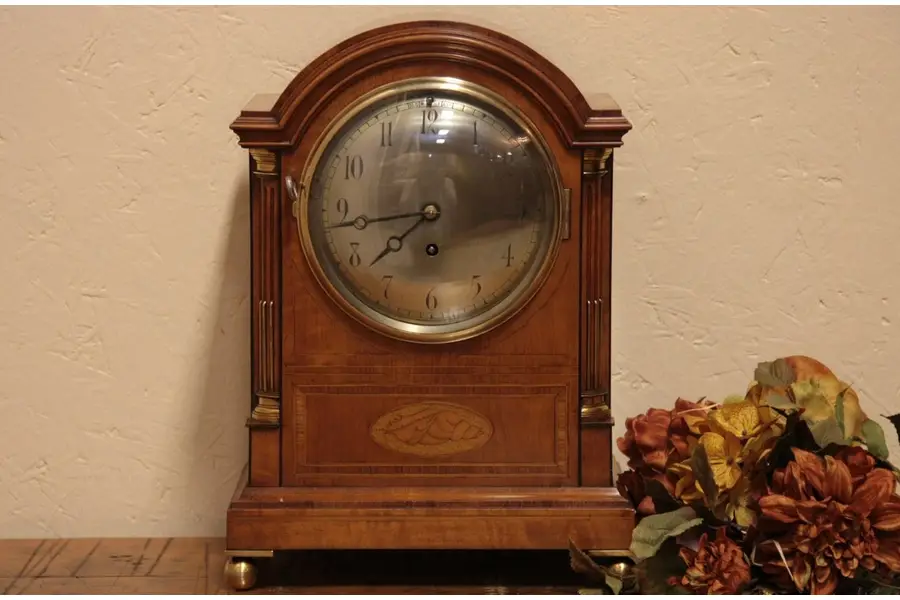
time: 7:43
